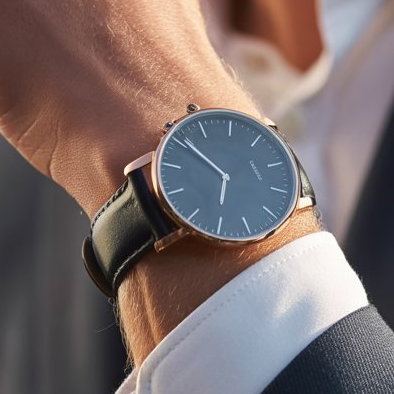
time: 5:50
